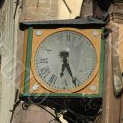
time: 6:25
